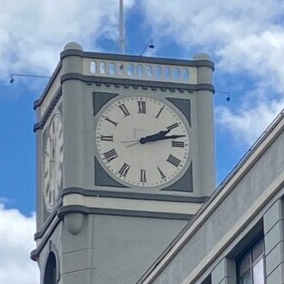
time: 2:13
